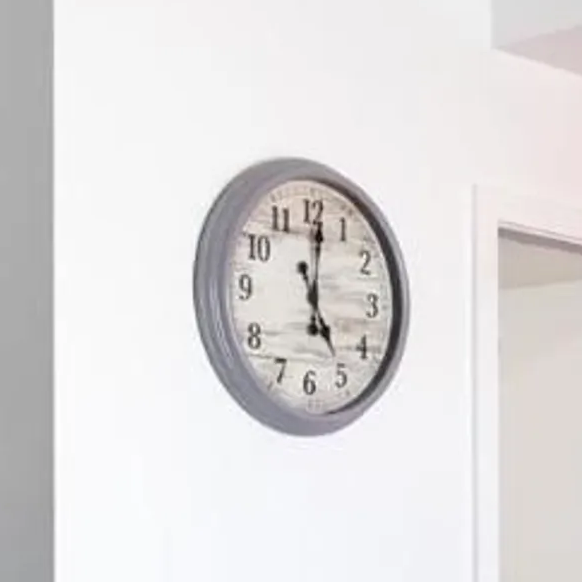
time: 5:01
